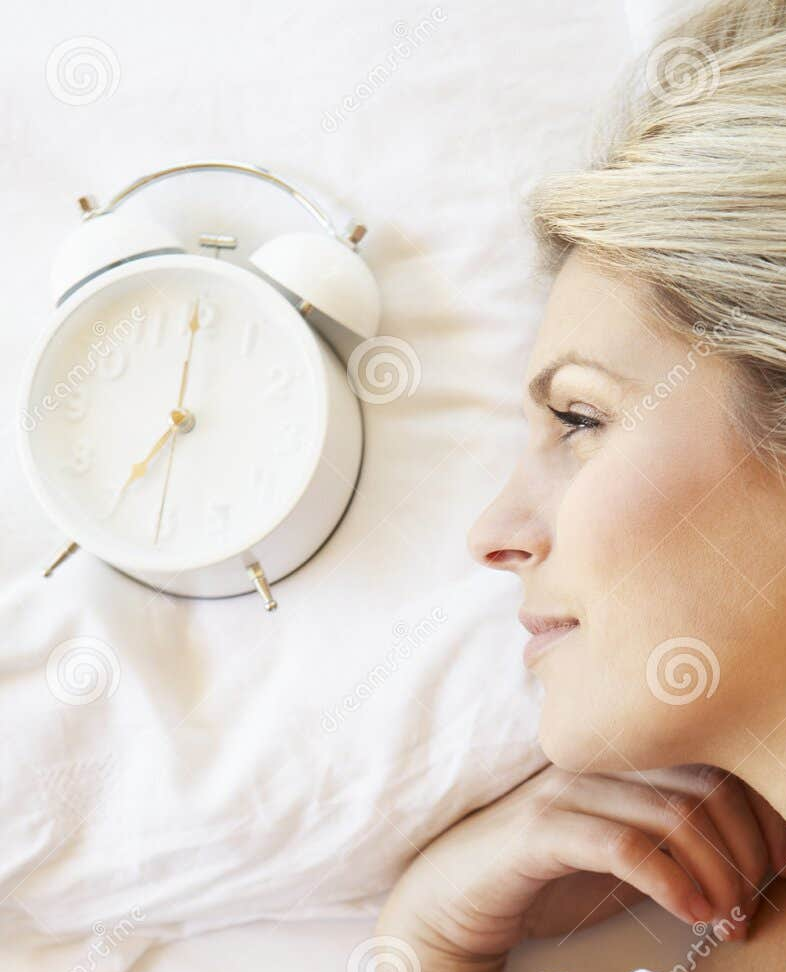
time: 7:00
